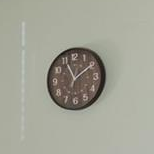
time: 11:09
